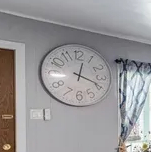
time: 12:18
